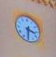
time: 3:31
